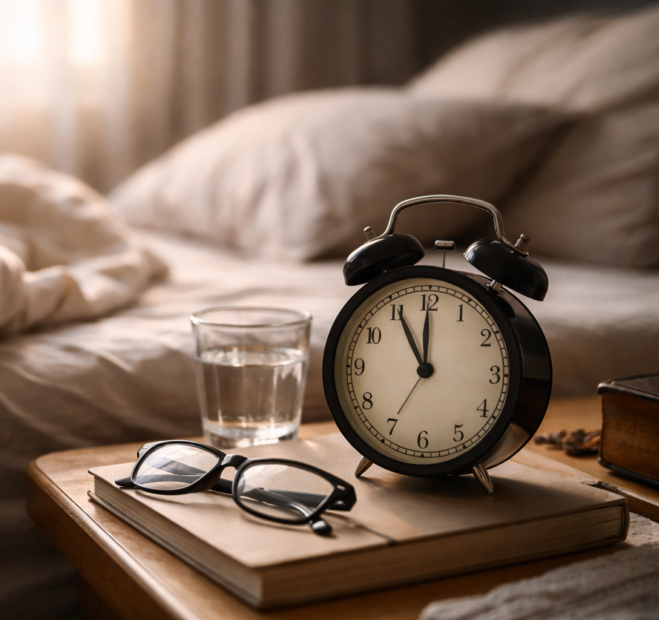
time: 11:55
